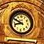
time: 8:49
